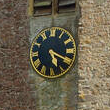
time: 5:19
